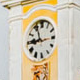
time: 8:56
